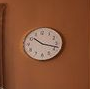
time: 10:17
